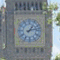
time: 1:12
